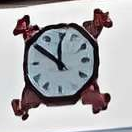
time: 11:50
